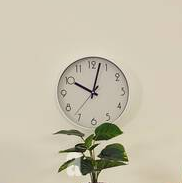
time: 10:02
